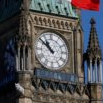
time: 10:51
